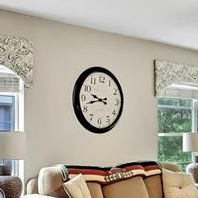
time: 9:42
